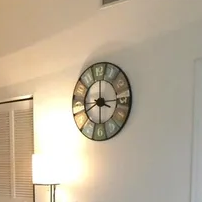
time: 2:58
